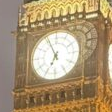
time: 6:55
